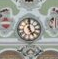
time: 4:59
